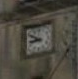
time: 8:49
